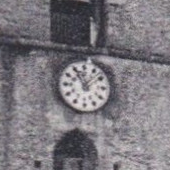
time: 11:07
